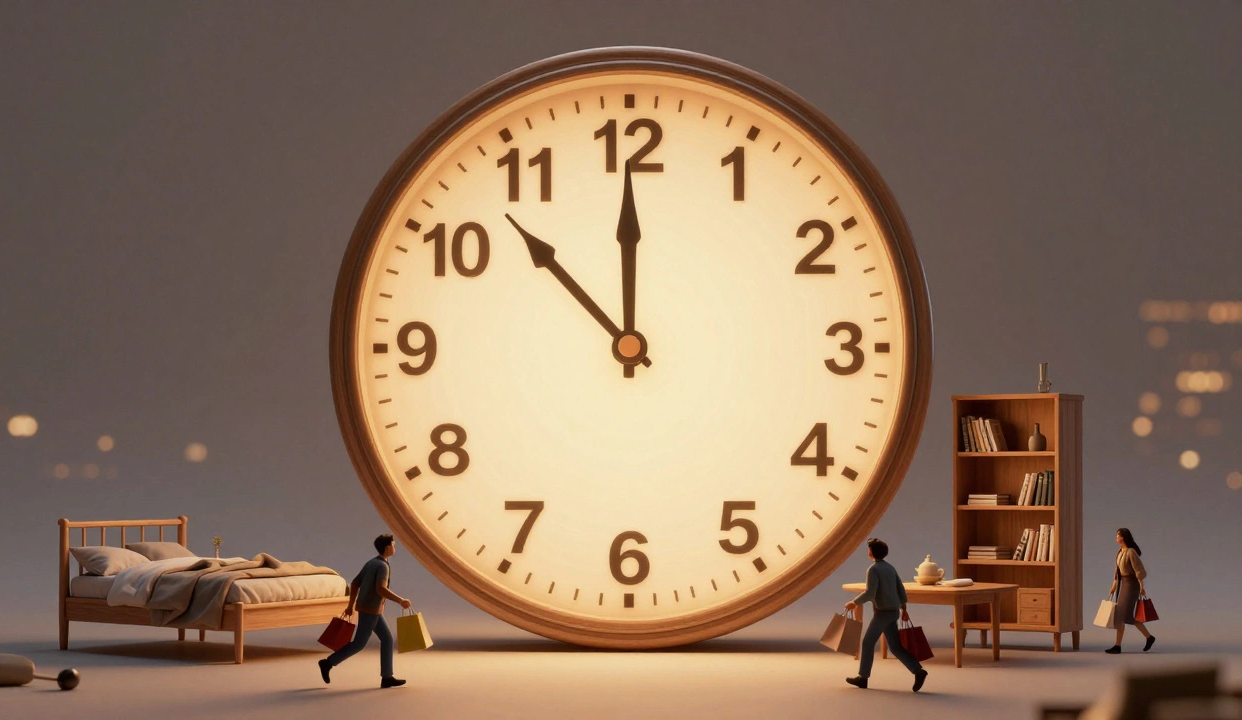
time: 11:52
